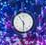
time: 5:54
